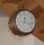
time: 12:16
